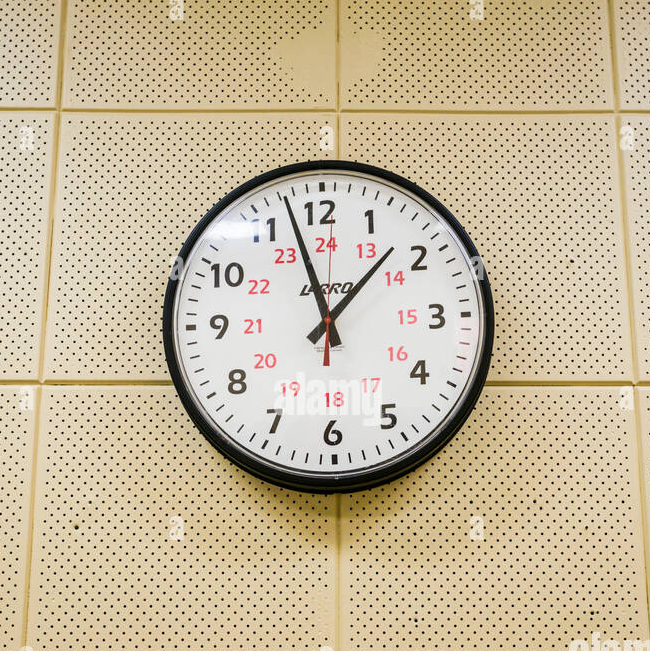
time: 12:57
